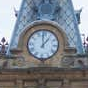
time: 12:58
